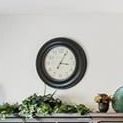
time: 3:04
